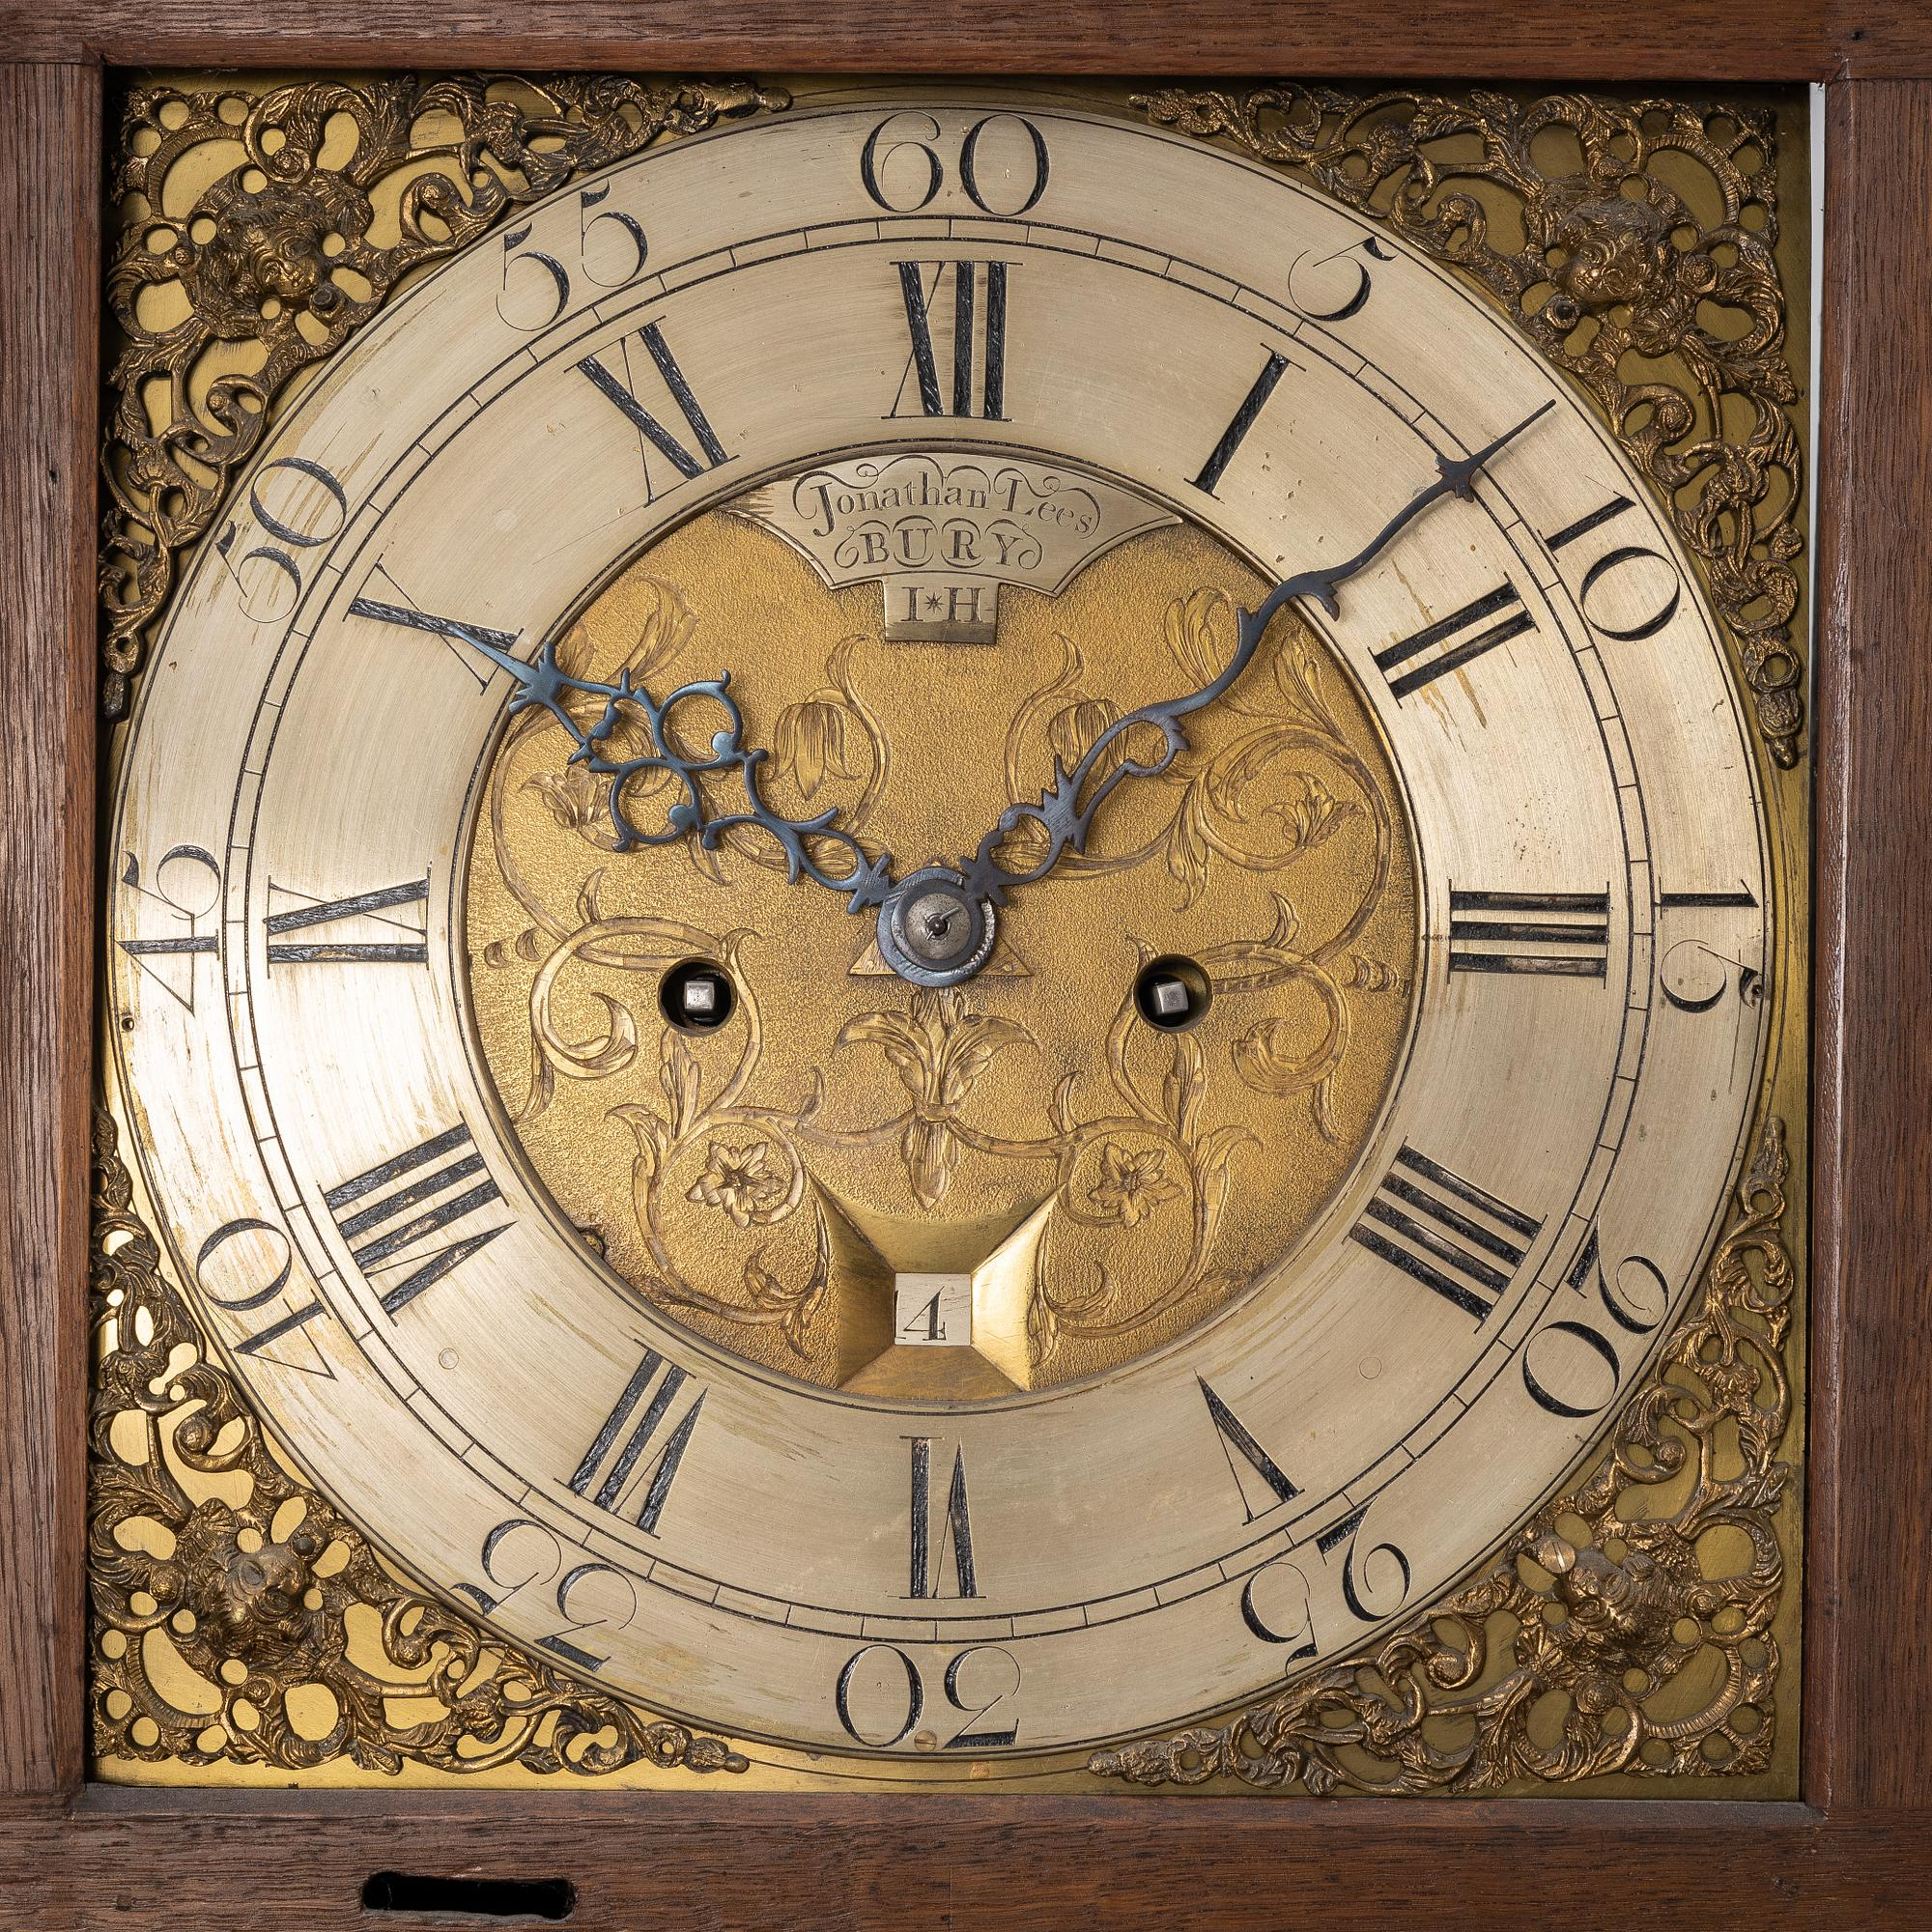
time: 10:07
